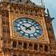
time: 10:07
